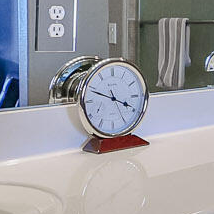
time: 3:48
